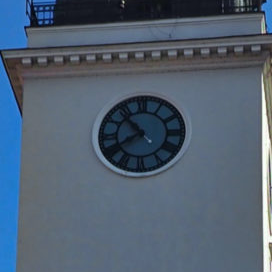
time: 10:39
